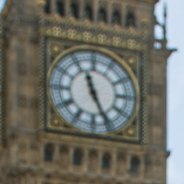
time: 11:25
